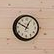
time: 12:49
